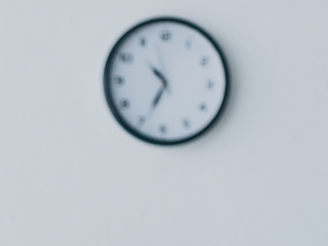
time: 10:34
